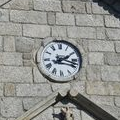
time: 2:17
